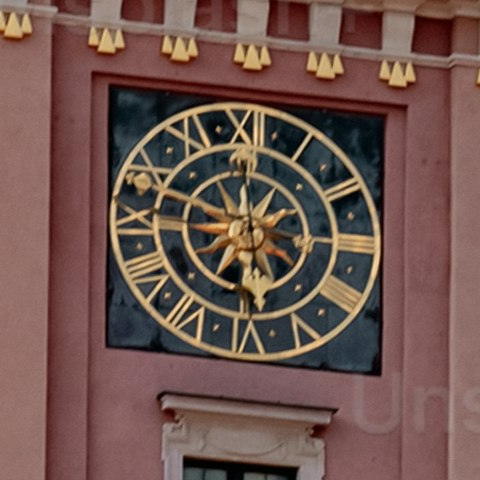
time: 5:45
